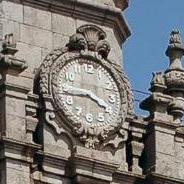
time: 3:44
